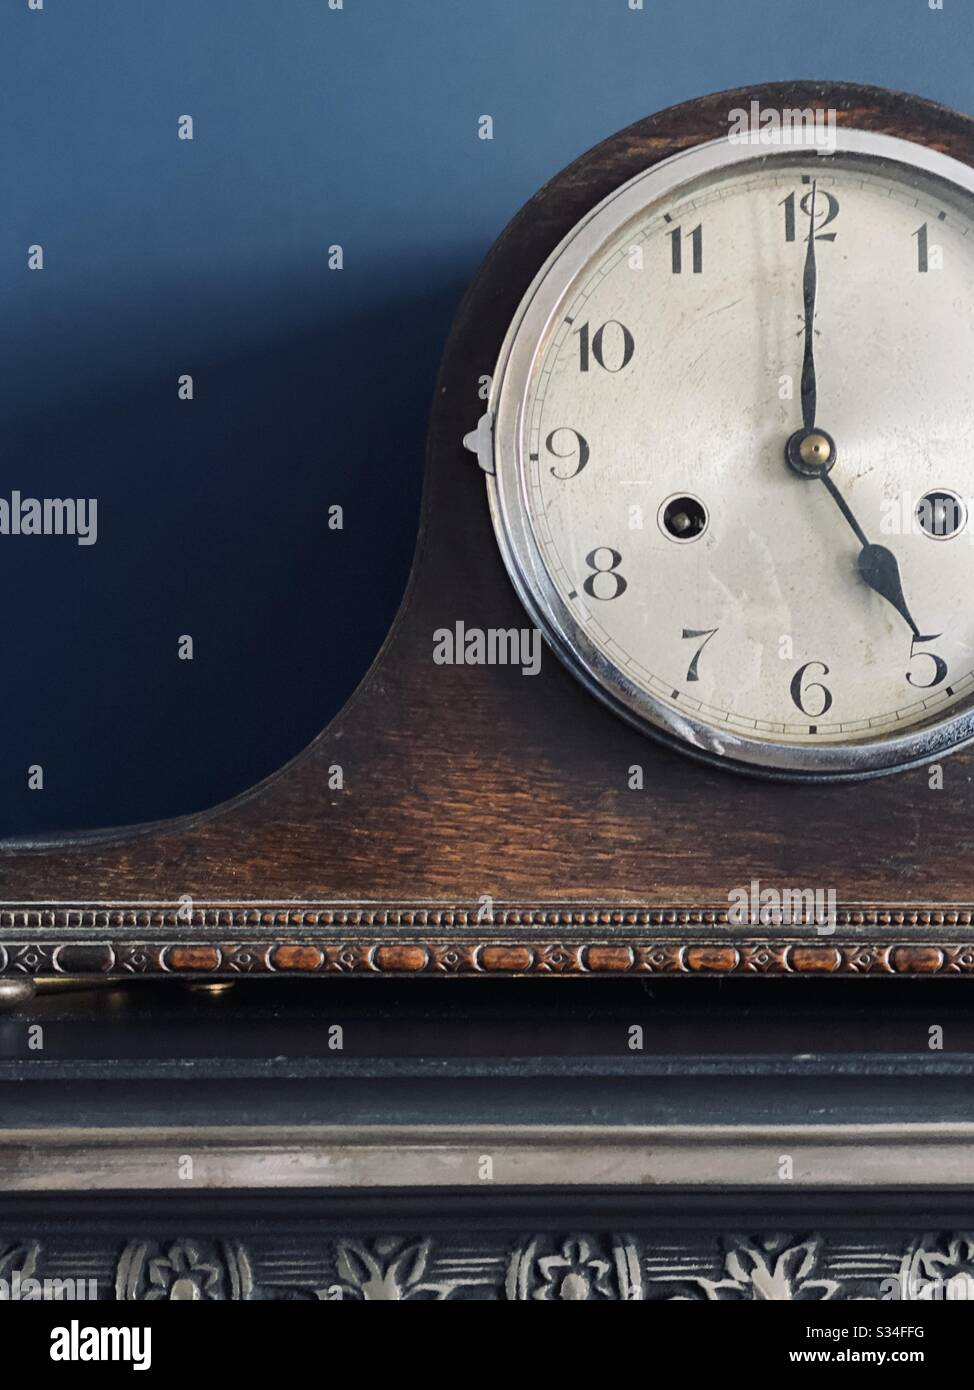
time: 5:00
